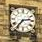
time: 2:36
